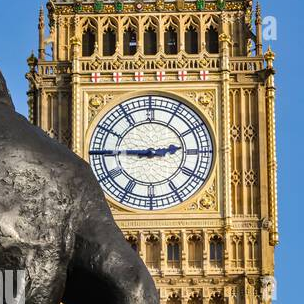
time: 2:45
